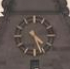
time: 4:26
